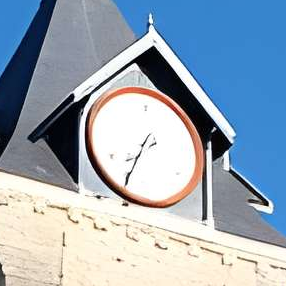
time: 1:34
